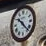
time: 10:22
